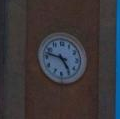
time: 4:47
